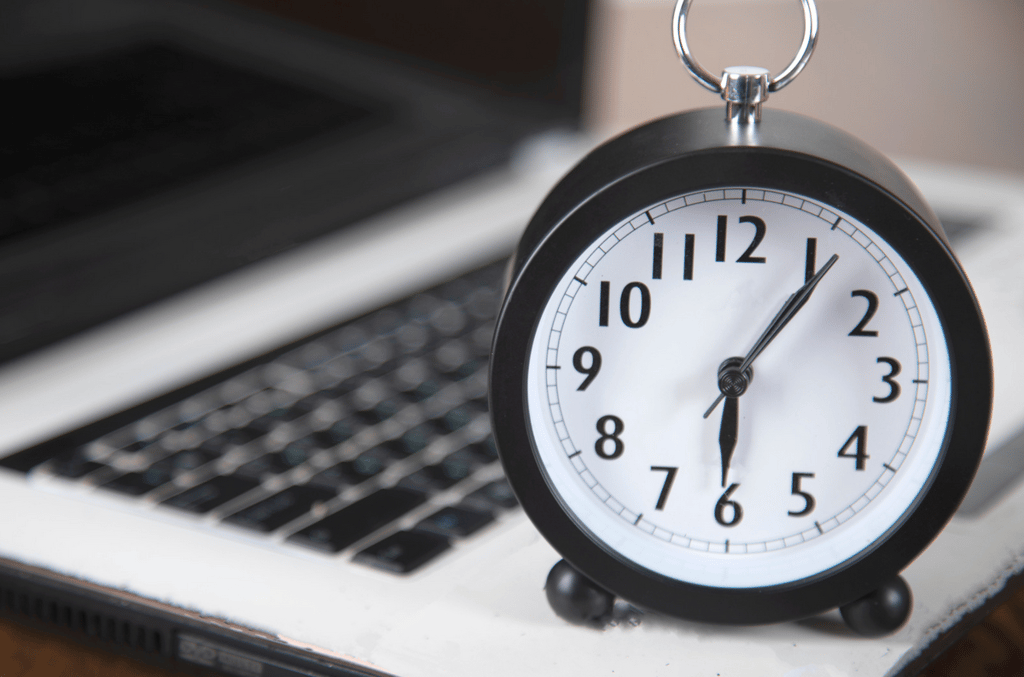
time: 6:06
